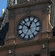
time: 12:51
